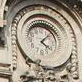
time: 4:07
